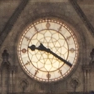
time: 9:20
